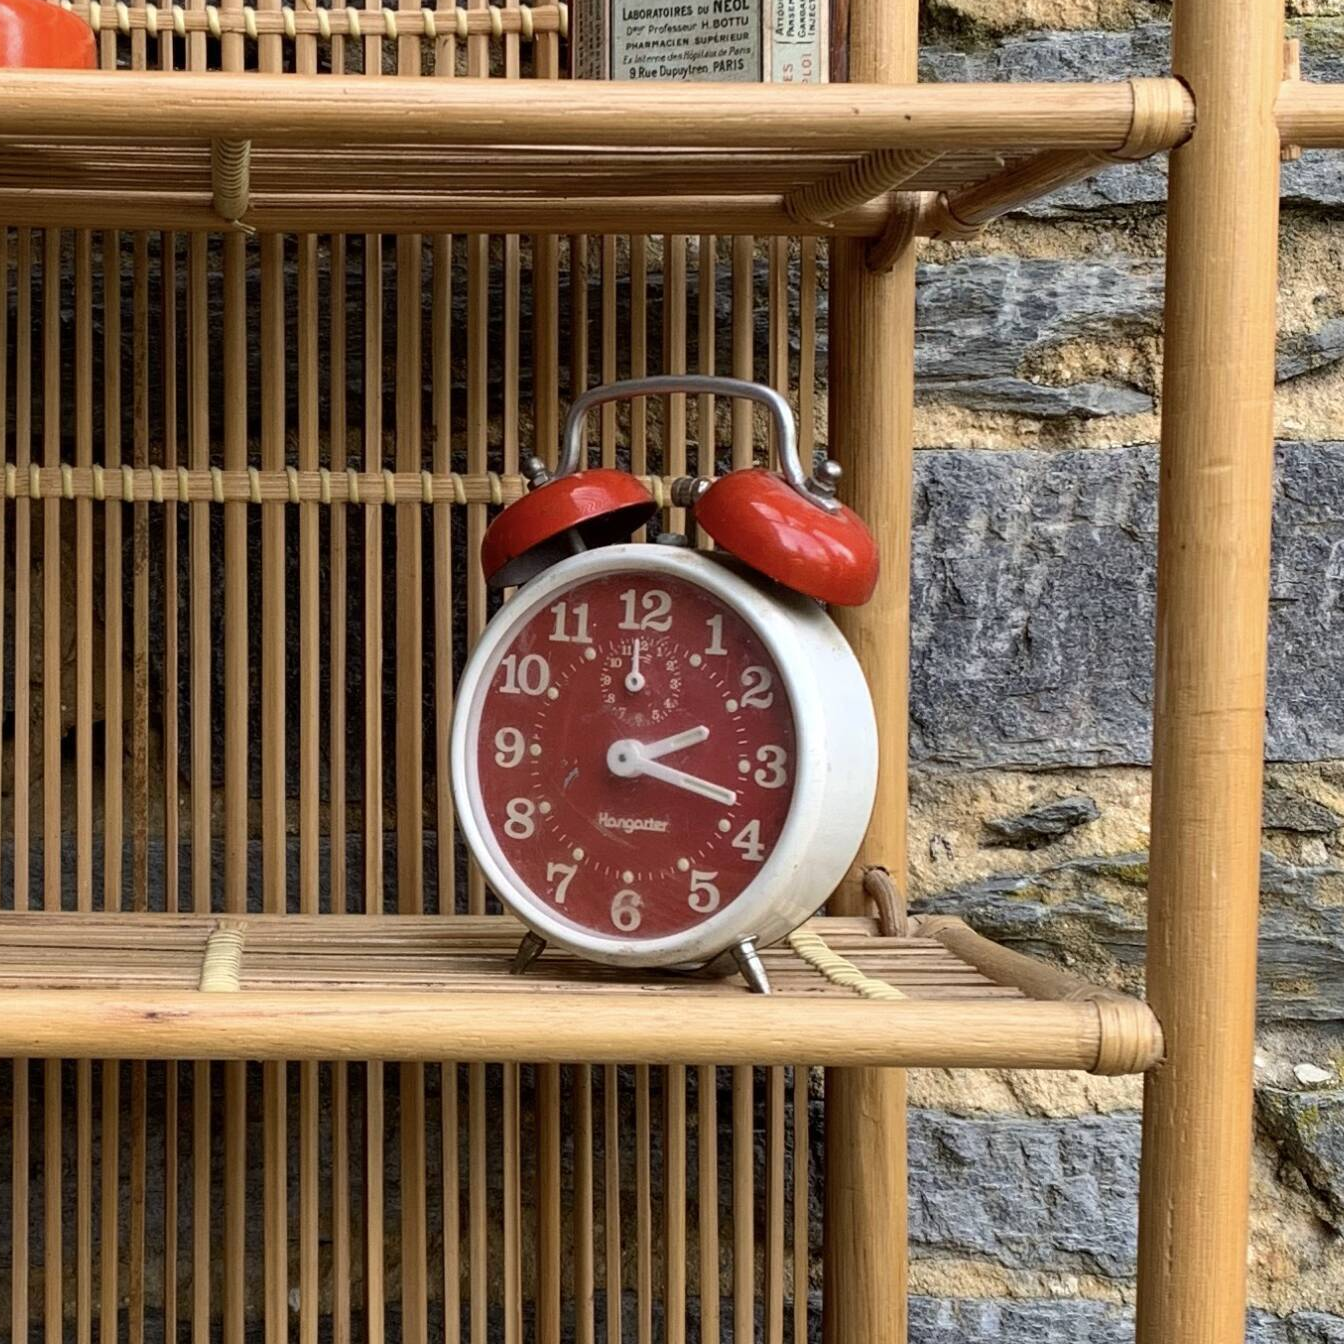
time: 2:18
